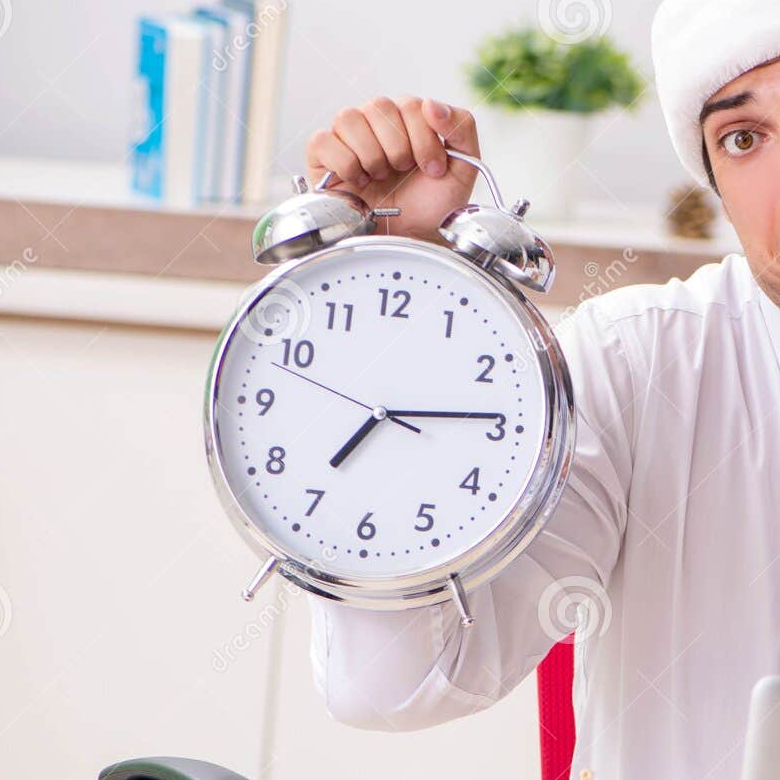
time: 7:14
